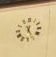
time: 6:25
